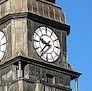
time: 9:36
